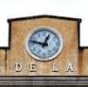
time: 12:47
